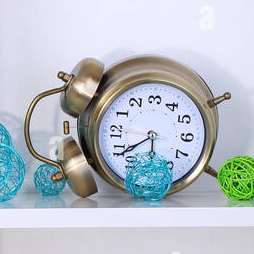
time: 5:39
